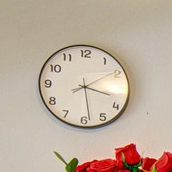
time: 3:28
